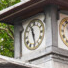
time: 11:28
